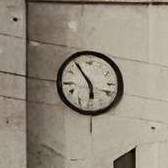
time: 5:54
